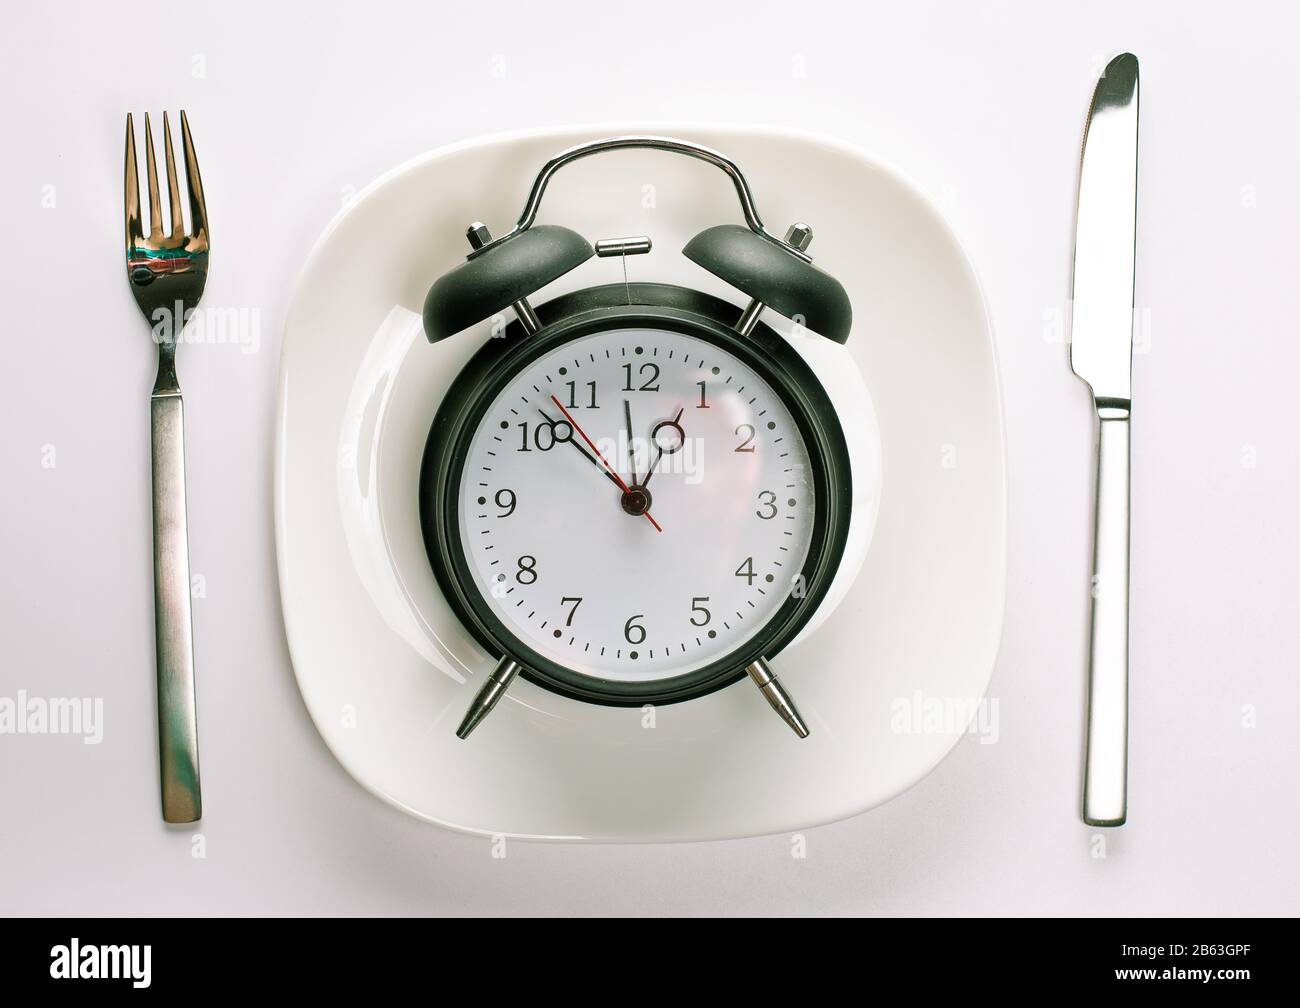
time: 12:52
